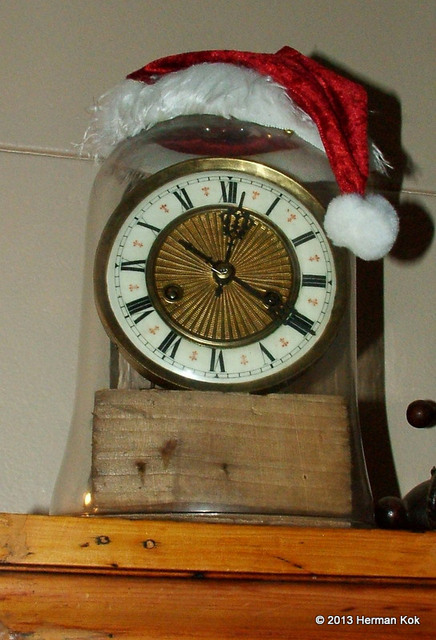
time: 12:19
